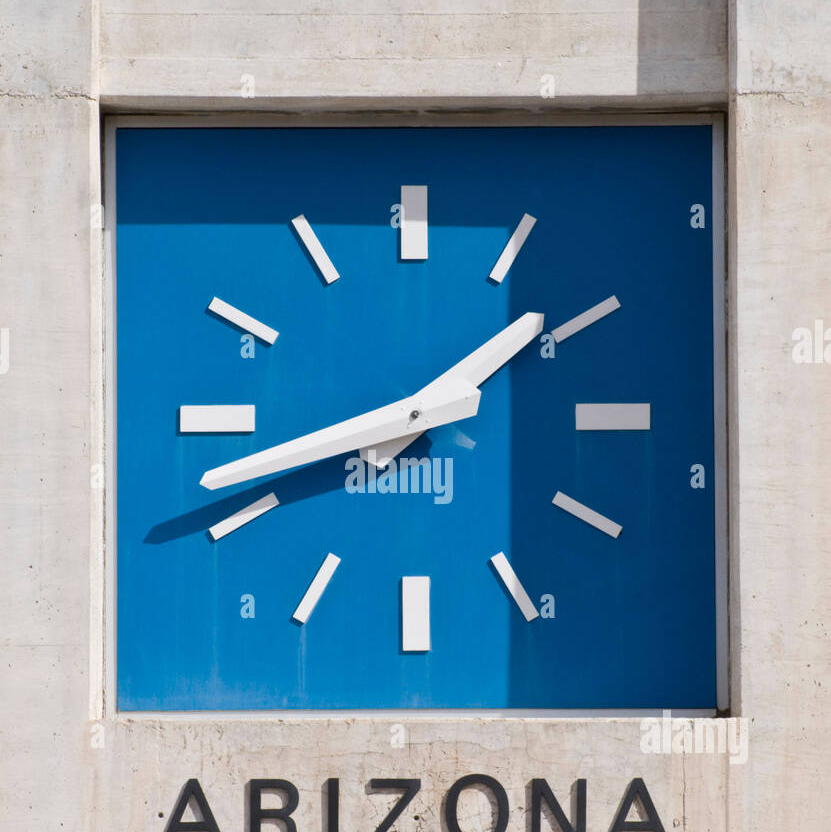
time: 1:42
